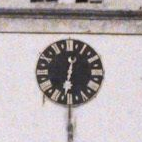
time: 6:01
